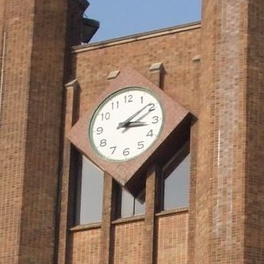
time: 3:09
